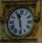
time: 11:28
